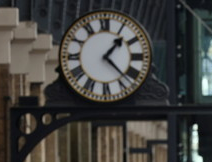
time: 1:22
